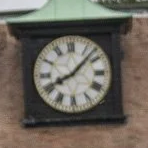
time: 8:07
